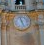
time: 11:26
